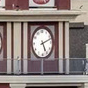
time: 5:11
